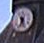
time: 6:25
